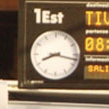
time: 8:17
